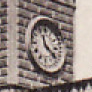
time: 11:21
